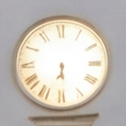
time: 6:29
